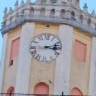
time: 3:12
